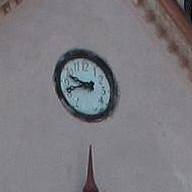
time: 9:41
